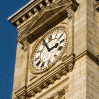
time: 2:56
